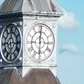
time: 6:00
